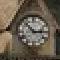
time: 10:14
